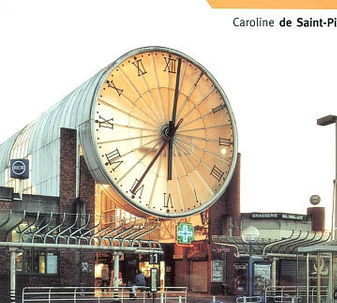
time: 6:01
